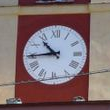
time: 10:44
